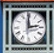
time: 2:59
